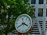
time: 3:39
